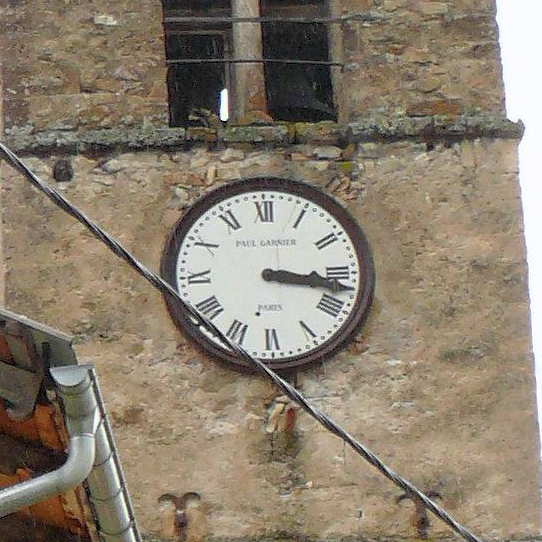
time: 3:17
